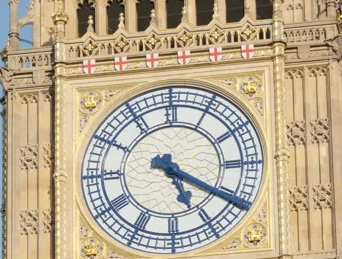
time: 5:20
